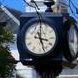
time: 3:26
